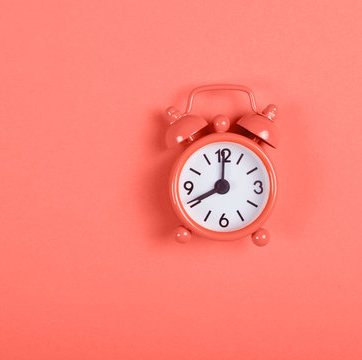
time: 8:00
